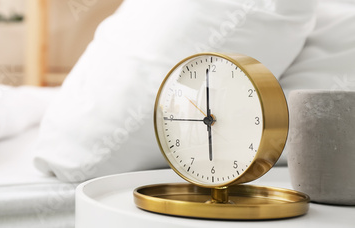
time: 5:59
